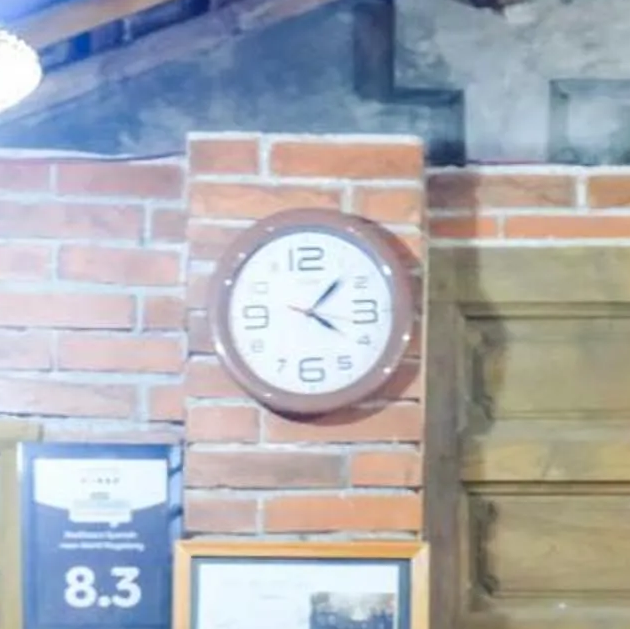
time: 4:07
